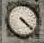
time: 4:21
